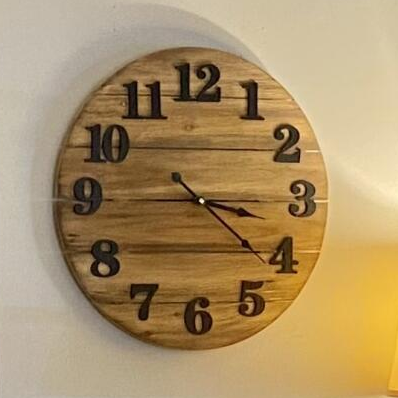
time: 3:21
